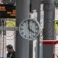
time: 3:58
